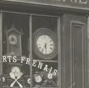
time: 5:35
